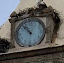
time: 10:52
